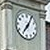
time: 7:04
